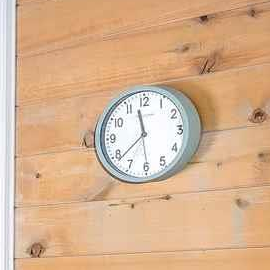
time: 11:38
